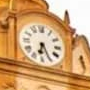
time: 6:25
